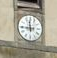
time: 11:44
